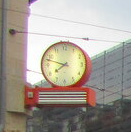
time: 7:47
